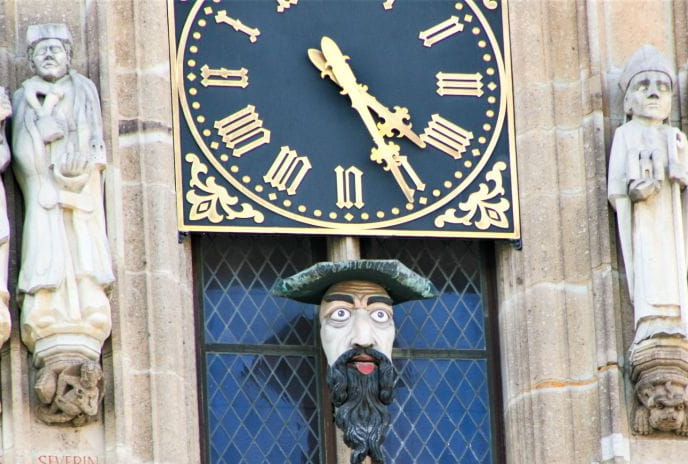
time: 4:25
